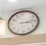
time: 3:13
